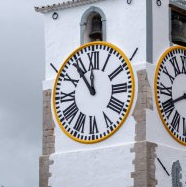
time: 11:53
